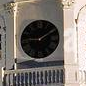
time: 9:09
